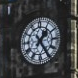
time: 1:24
